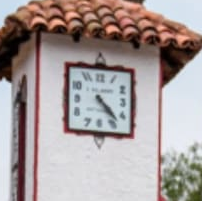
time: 4:22
